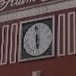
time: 5:59
